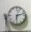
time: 6:12
